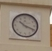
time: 10:18
